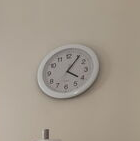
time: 4:05
